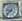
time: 9:37
